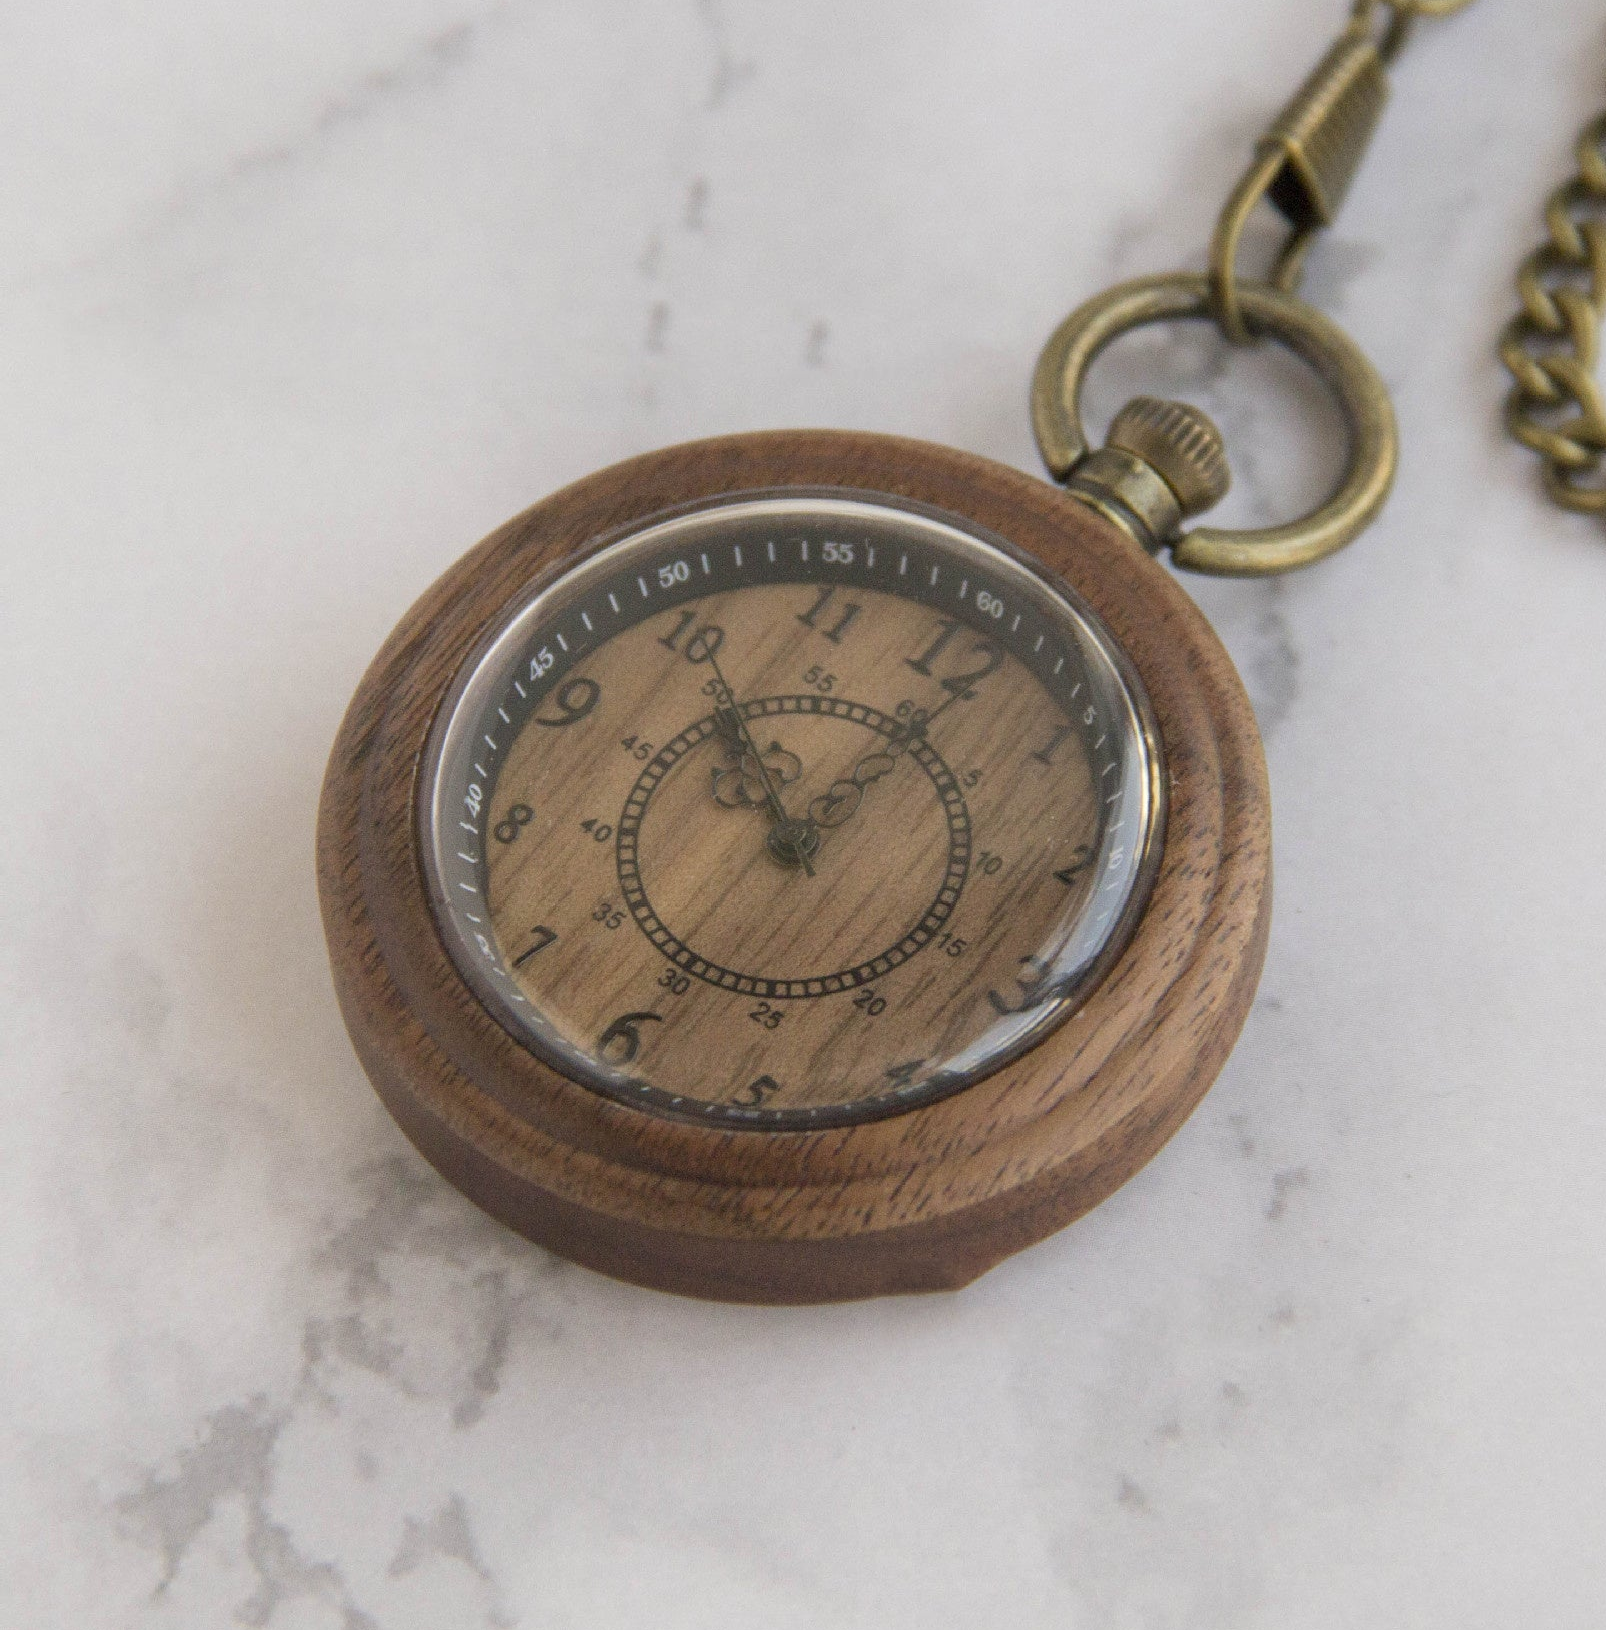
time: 11:06
